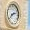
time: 2:38
